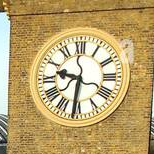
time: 9:31
